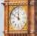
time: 11:49
